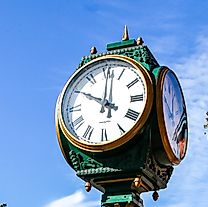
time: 10:00
